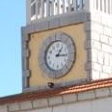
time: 1:16
